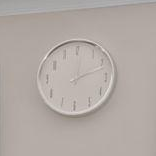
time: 12:11
